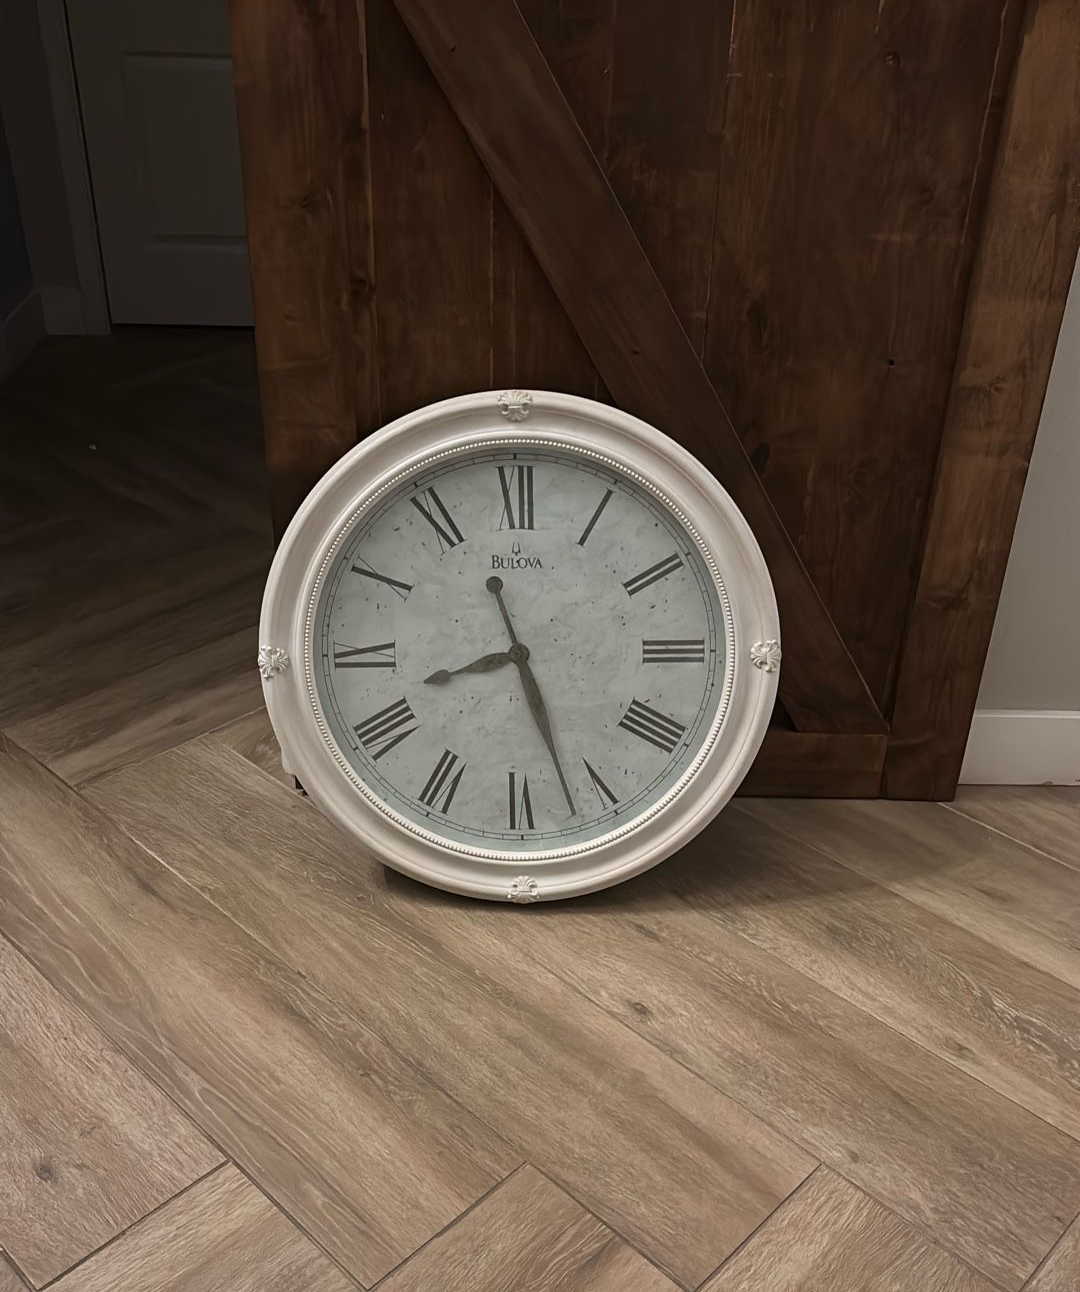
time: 8:26
